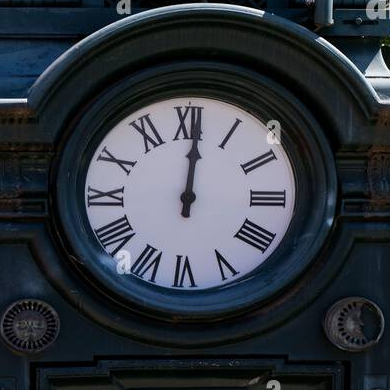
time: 12:00
